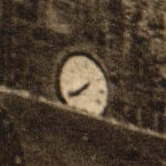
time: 7:39
